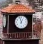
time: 12:57
